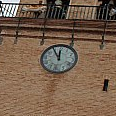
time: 11:55
